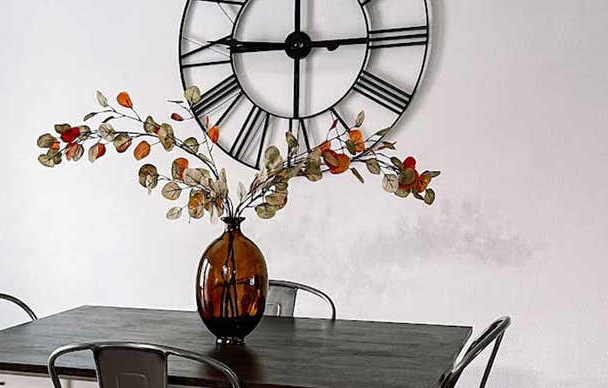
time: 9:14
